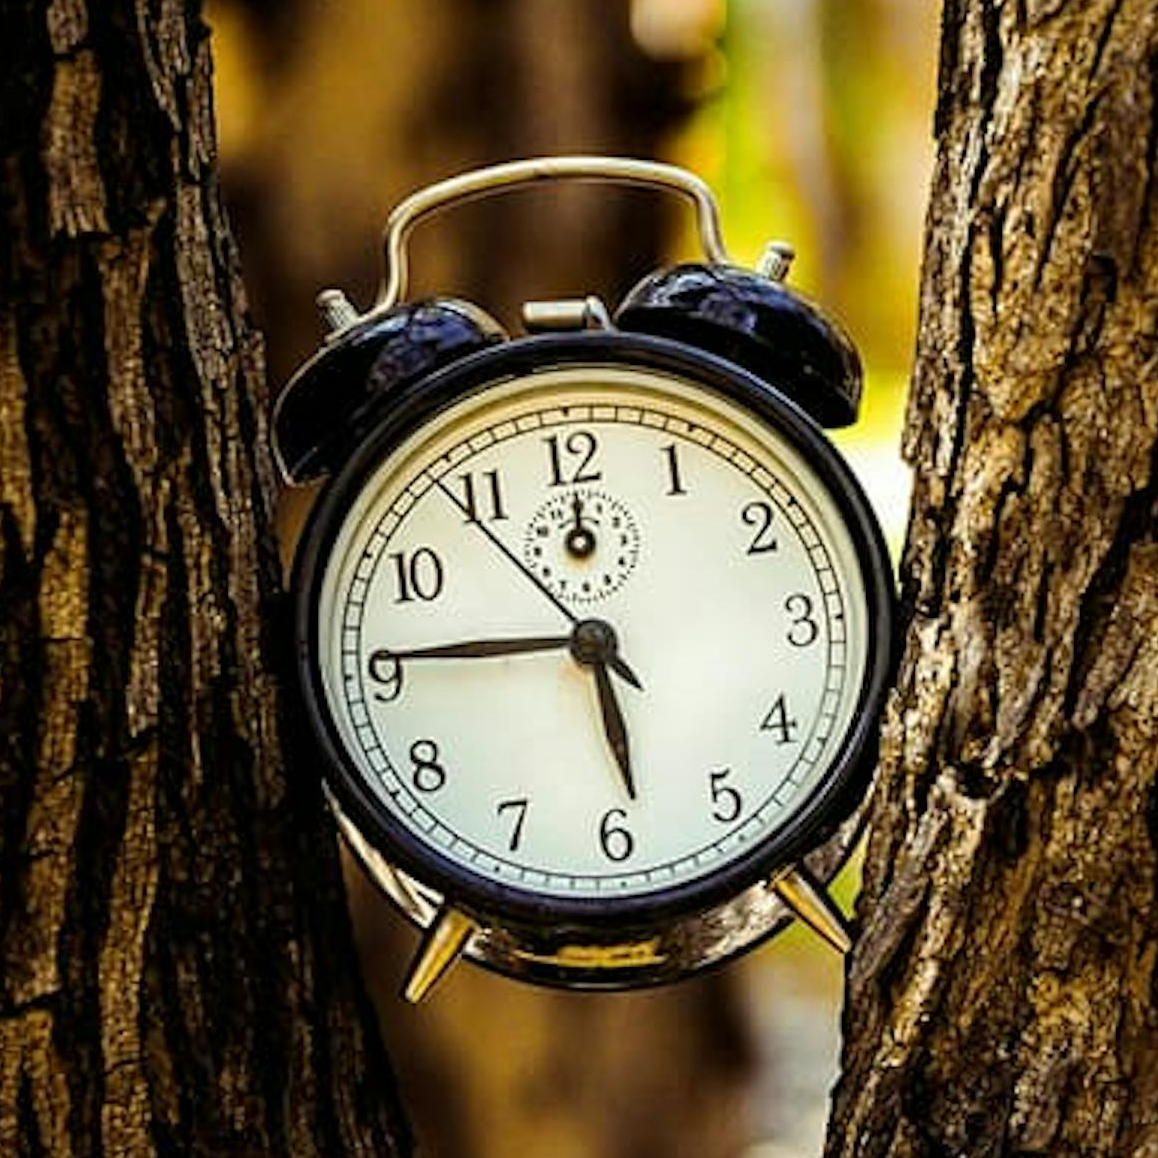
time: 5:45
